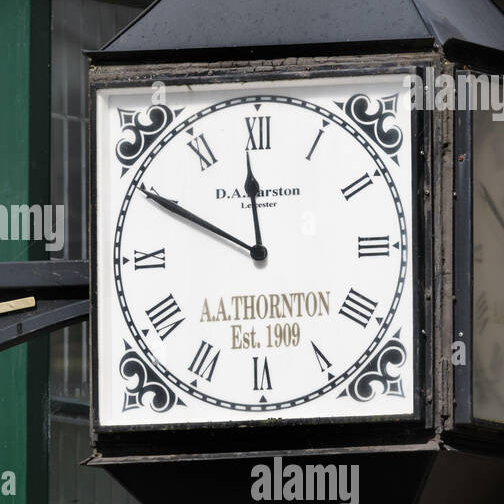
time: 11:49
